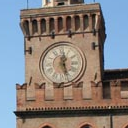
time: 12:27
